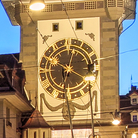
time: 10:02
